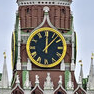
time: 12:07
